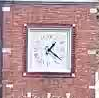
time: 1:21
